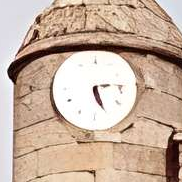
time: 5:13
